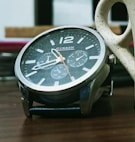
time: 10:41
